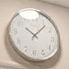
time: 10:07
